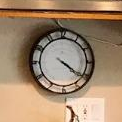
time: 4:21
